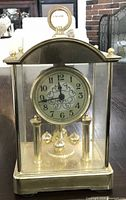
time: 11:44
